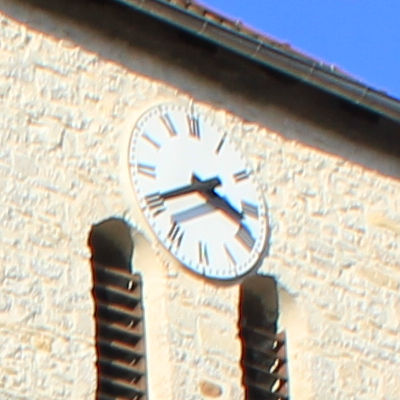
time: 3:40
